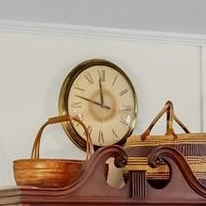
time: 11:47
